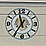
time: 11:35
